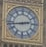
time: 2:43
